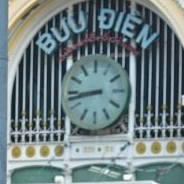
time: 8:43
